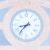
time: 8:37
